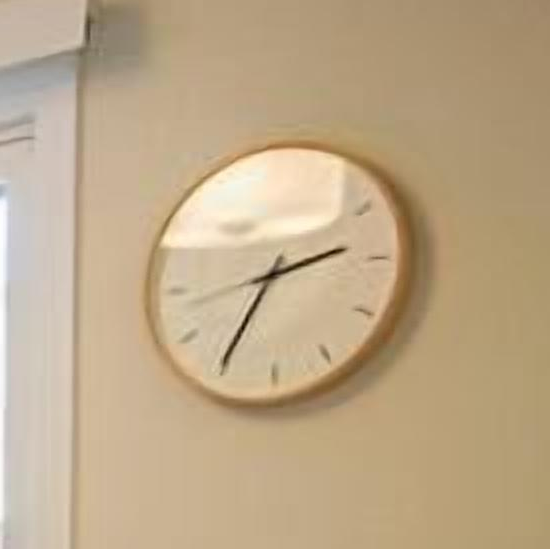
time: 2:35
